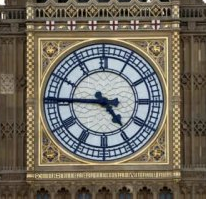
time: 4:45
